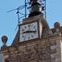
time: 9:17
